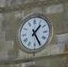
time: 1:25
